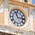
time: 2:56
